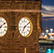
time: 7:08
